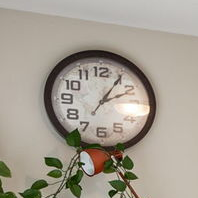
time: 2:05
